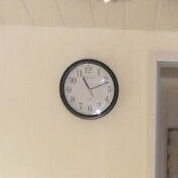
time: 11:11
